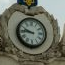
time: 9:45
